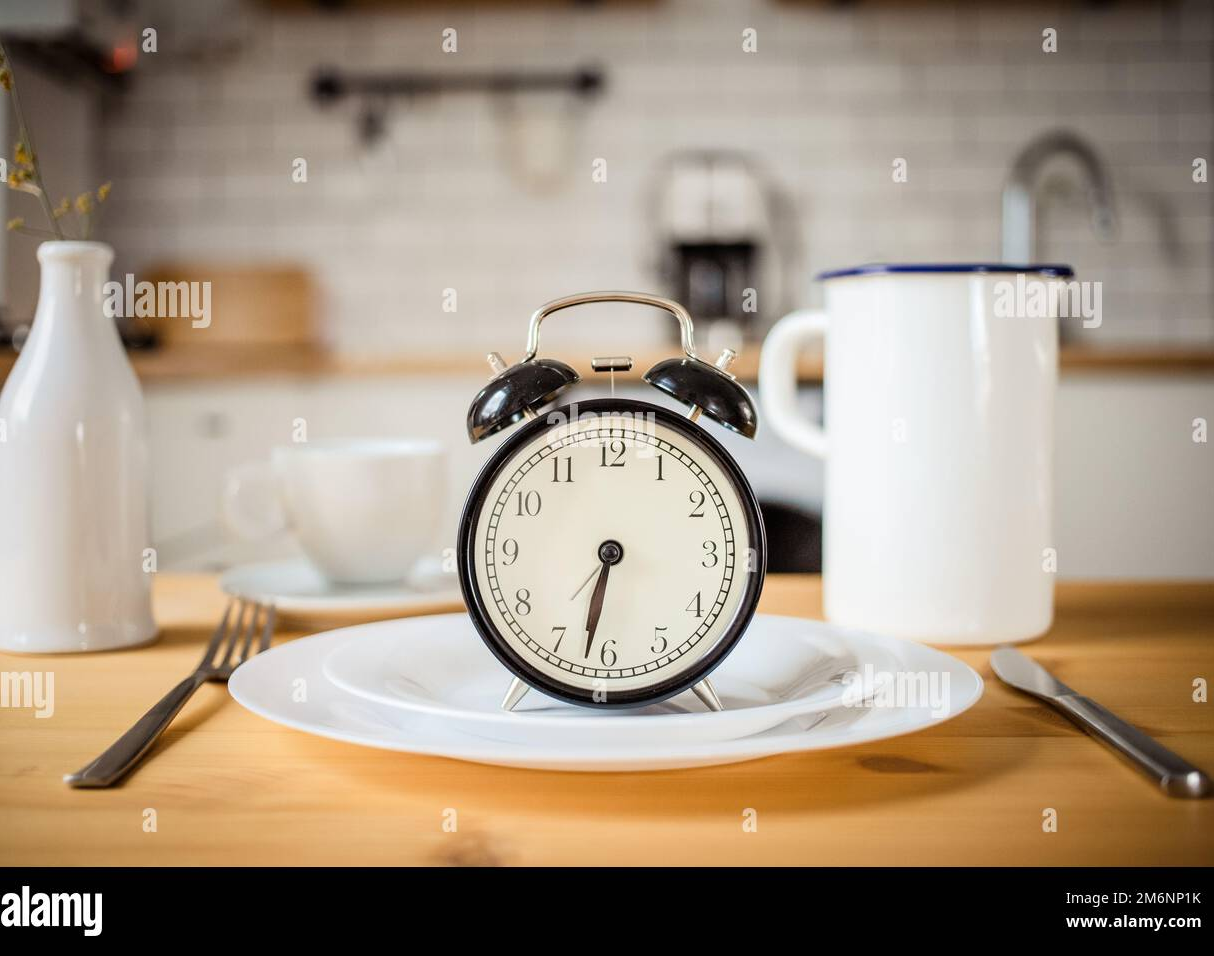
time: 6:32
